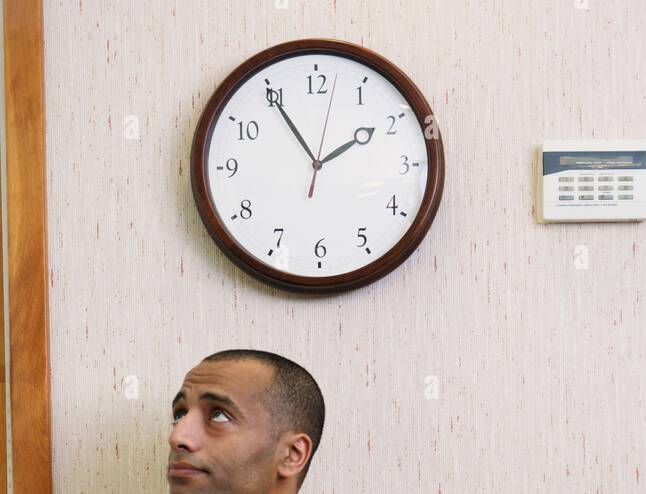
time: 1:54
